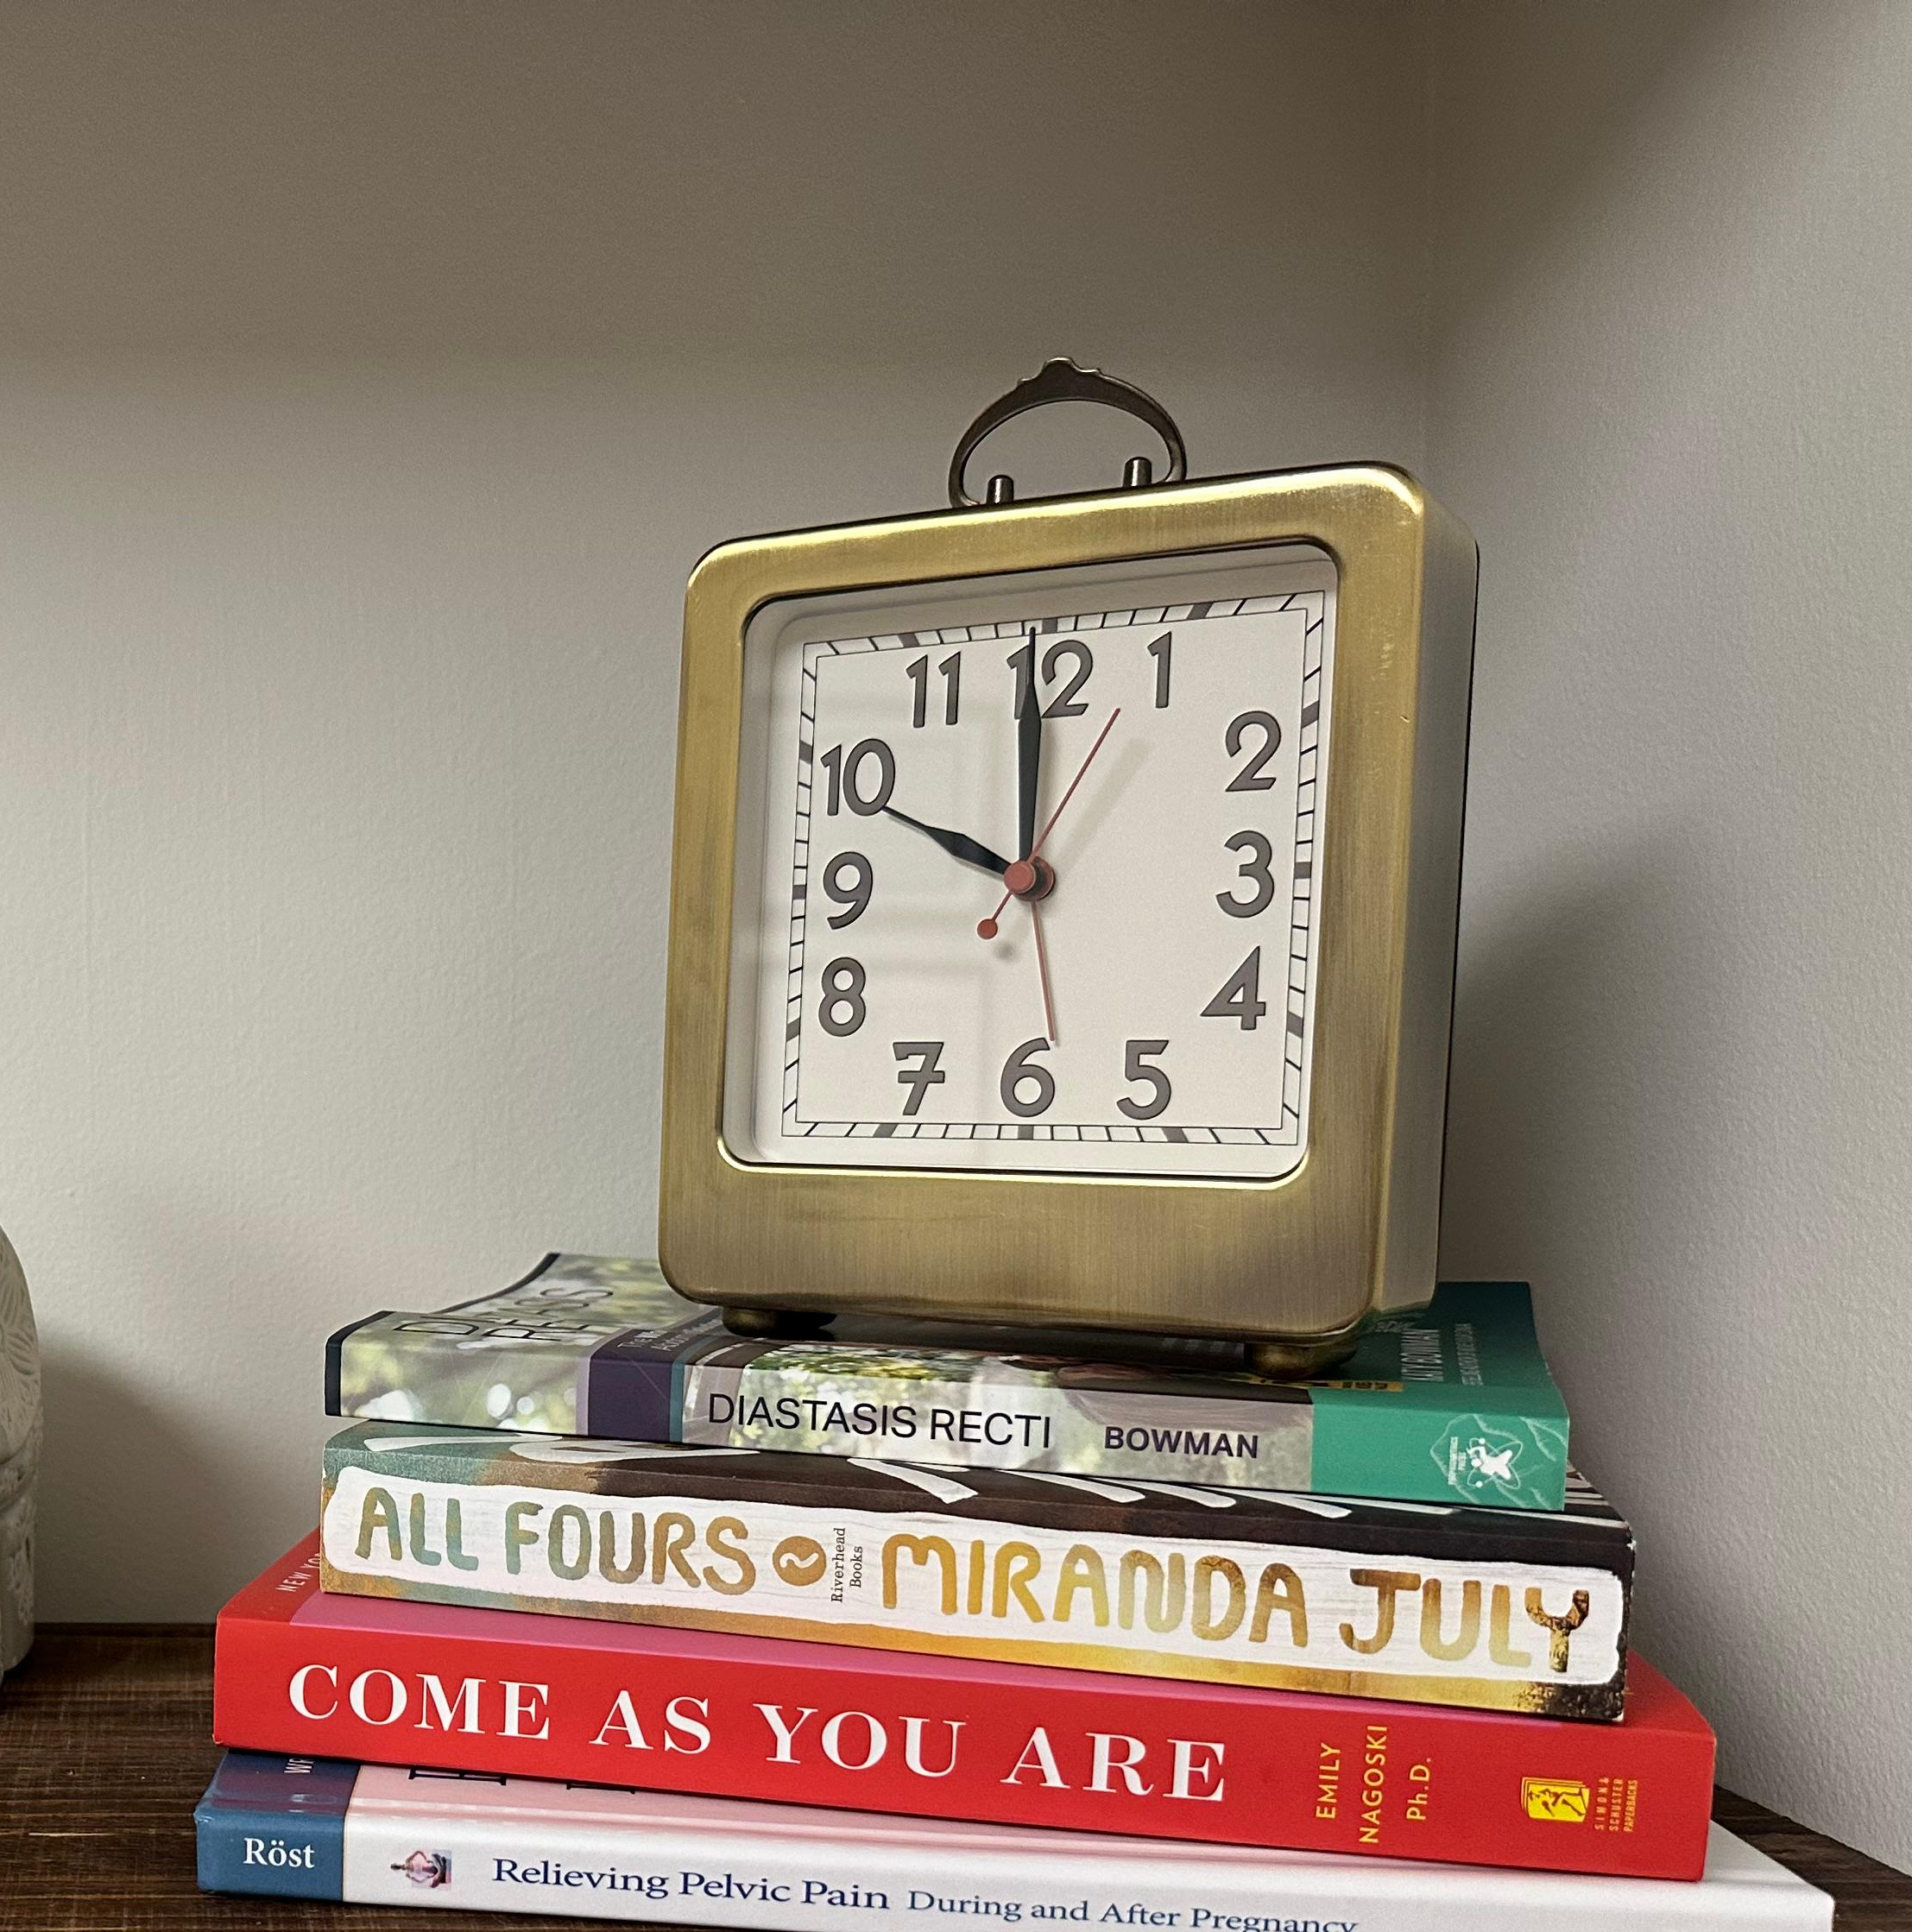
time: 9:59
